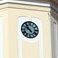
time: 9:53
